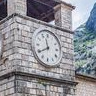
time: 11:39
